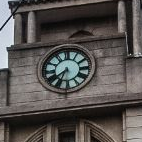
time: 7:33
